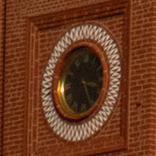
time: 3:24
